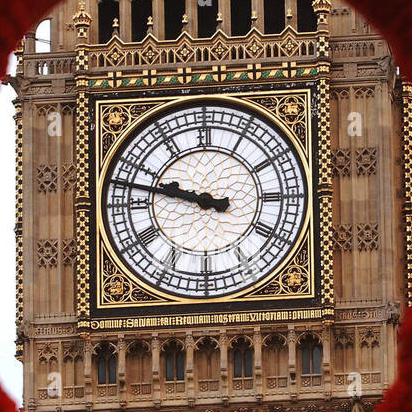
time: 9:47
